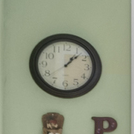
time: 1:07
